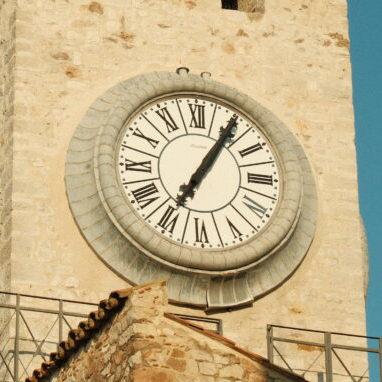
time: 1:05
